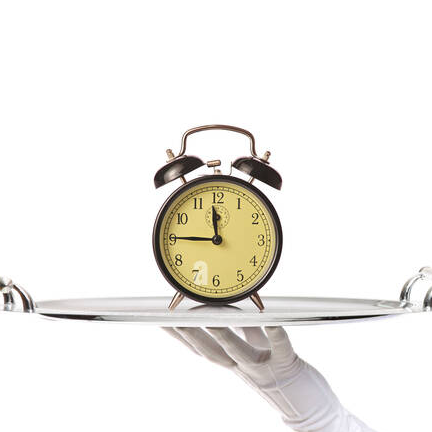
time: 11:45
